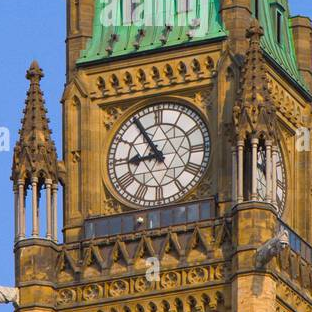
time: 8:54
